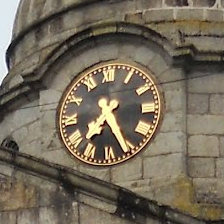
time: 7:25
